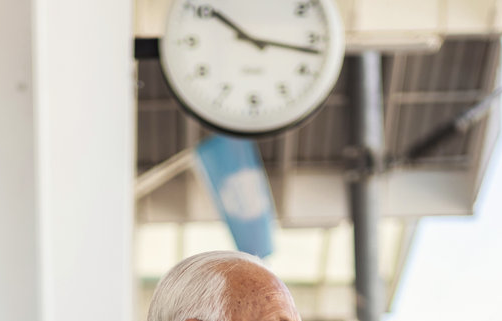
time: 10:16
